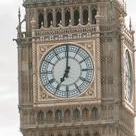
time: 7:00
